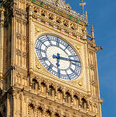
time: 6:13
